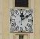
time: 12:09
